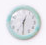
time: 12:29
